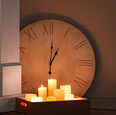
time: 1:01
